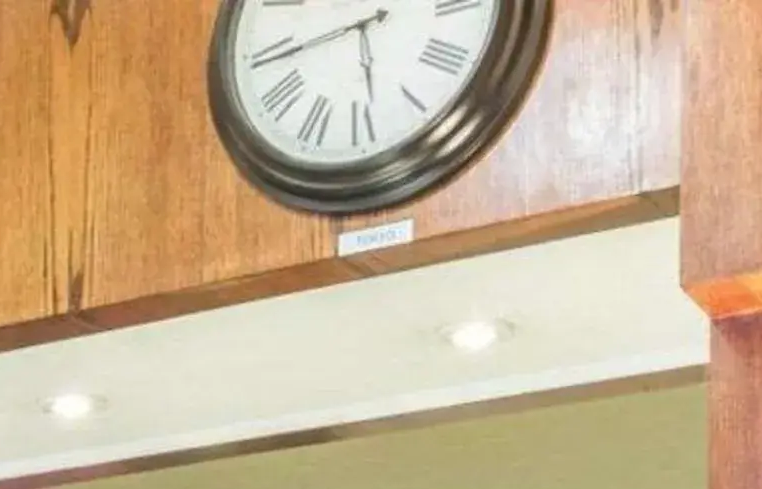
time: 5:43
